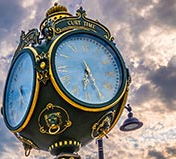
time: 6:25
